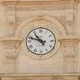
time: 10:48
